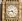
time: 4:43
